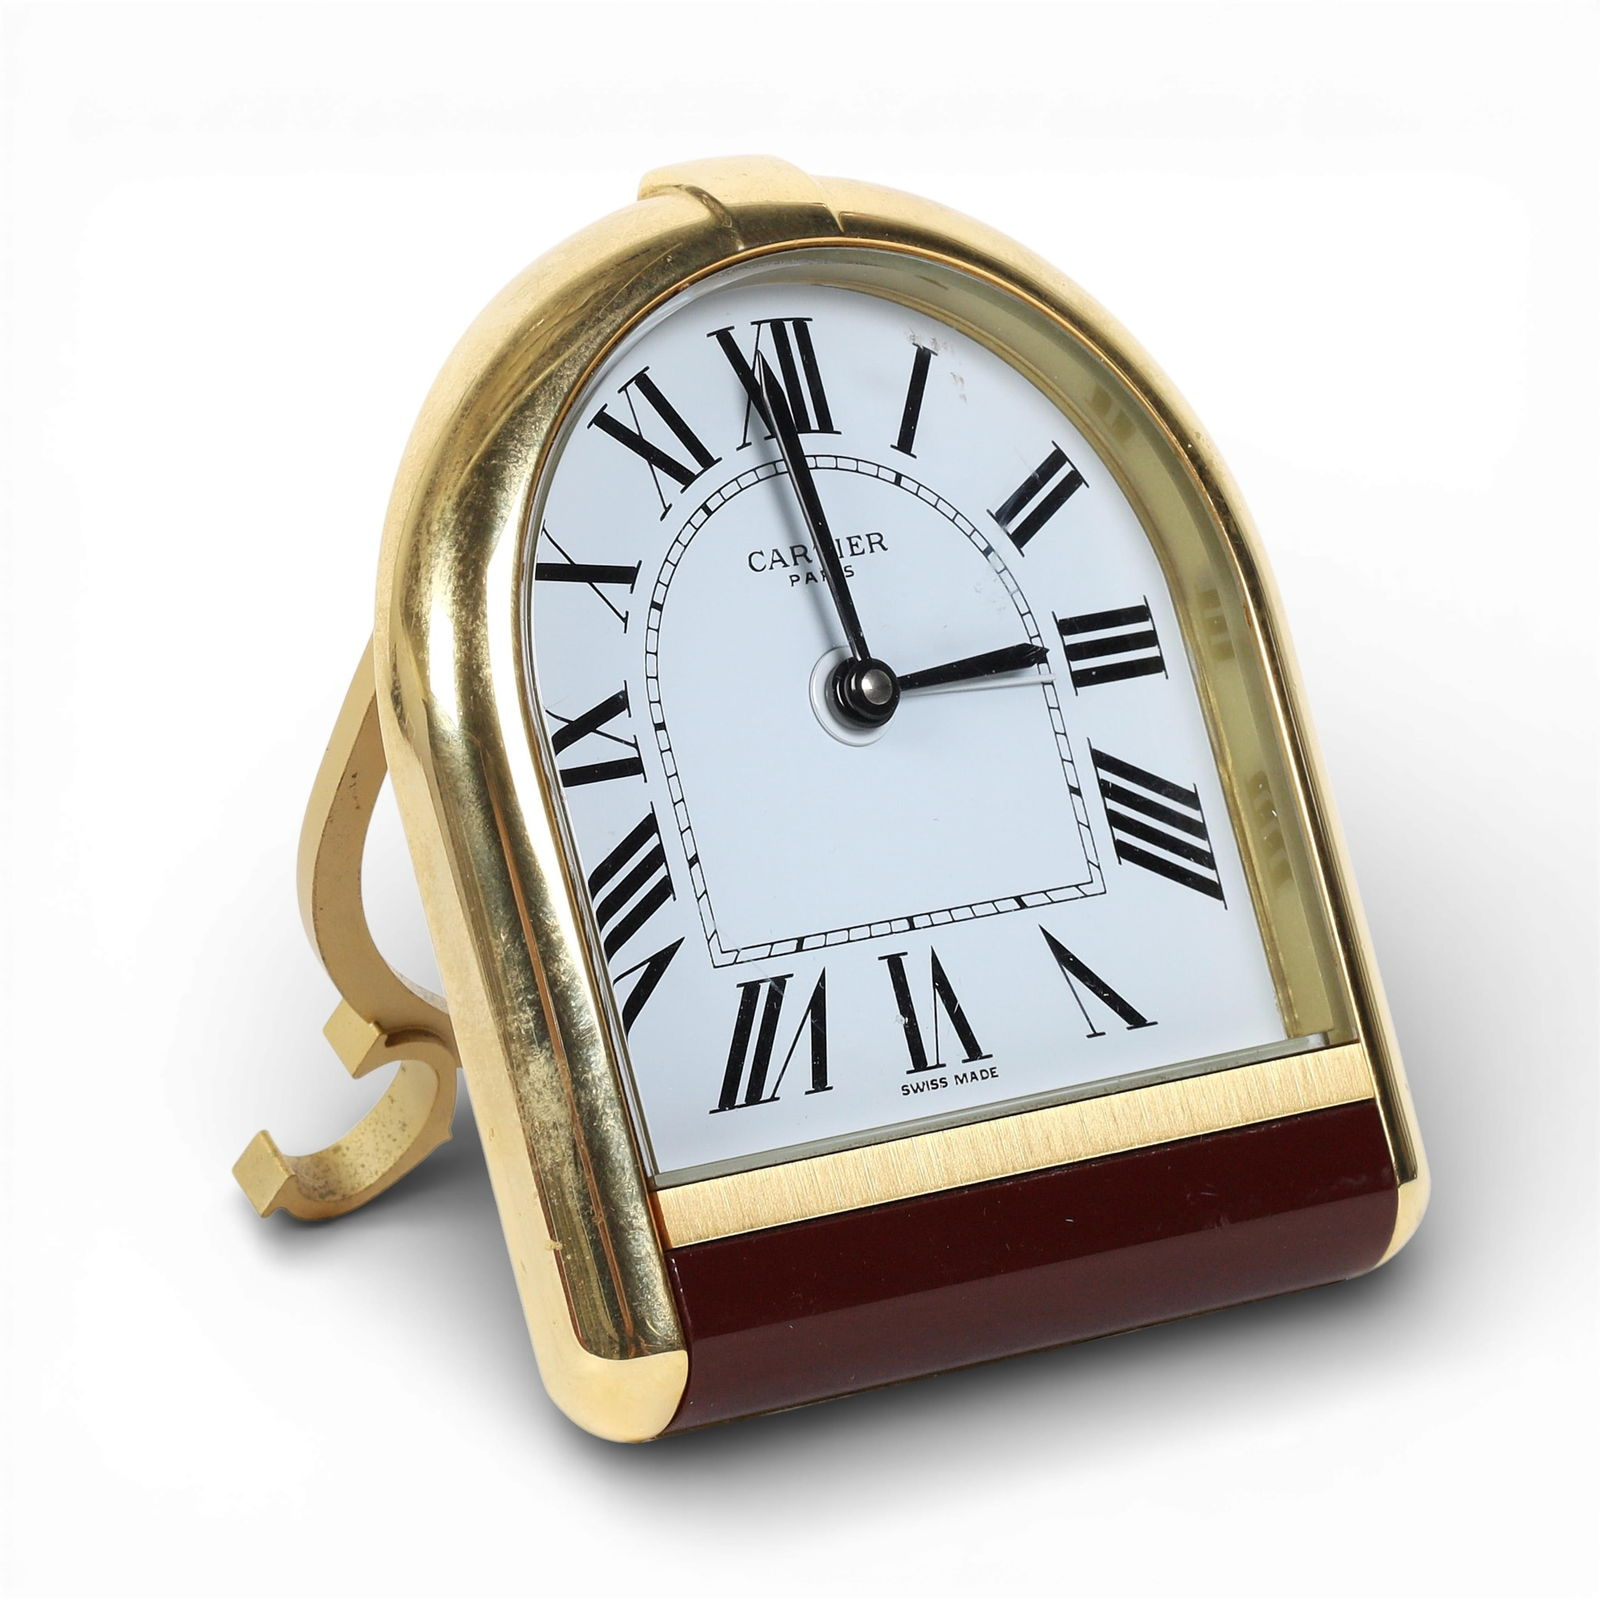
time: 2:59
